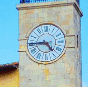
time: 4:44
